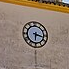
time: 6:17
